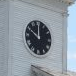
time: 10:00
